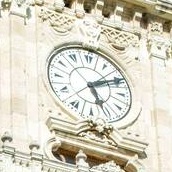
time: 5:10
